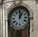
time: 1:00
